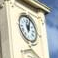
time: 11:03
